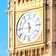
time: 5:45
